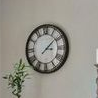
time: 3:08
